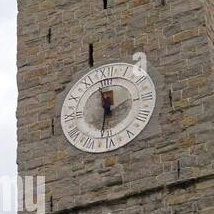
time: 11:32
